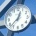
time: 12:37
